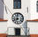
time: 7:59
